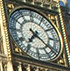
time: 7:21
